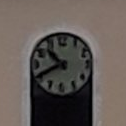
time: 10:40
